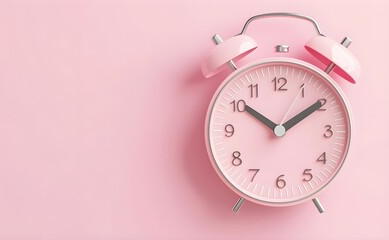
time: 10:09
